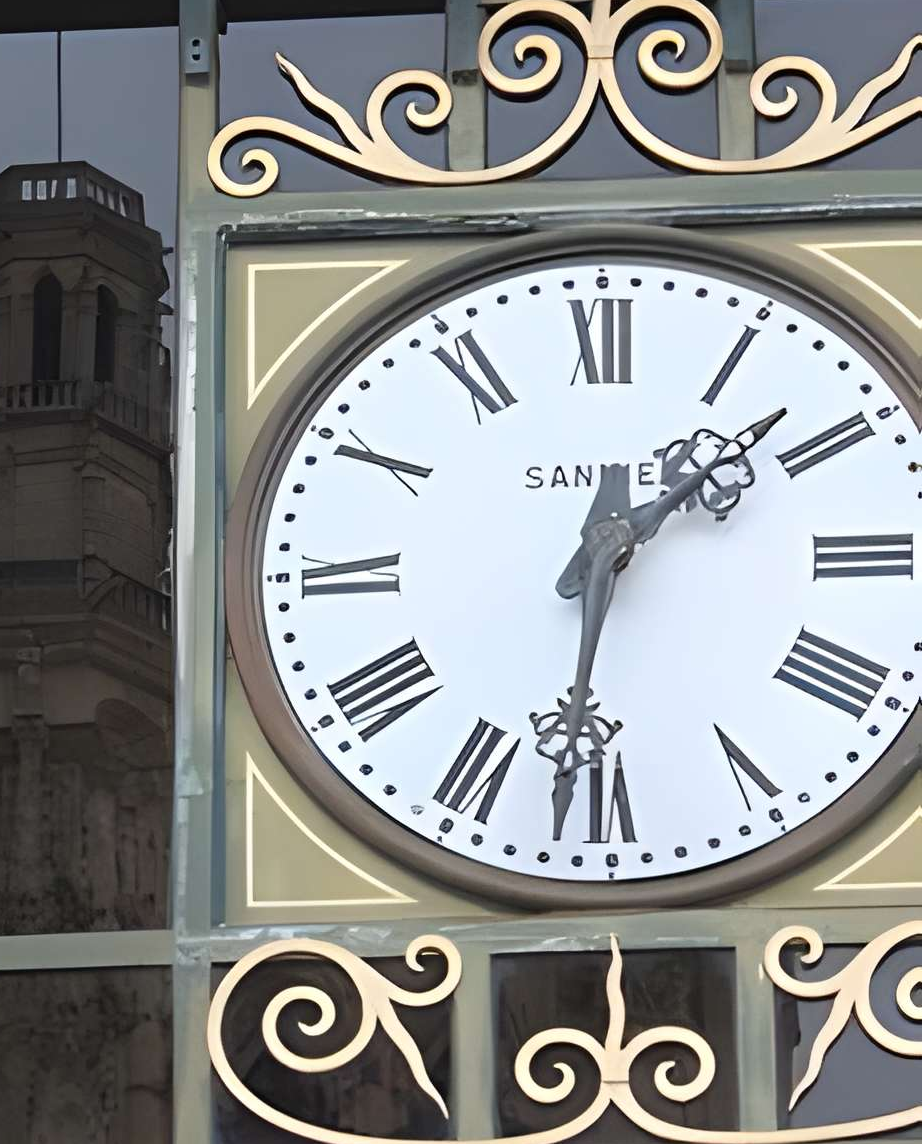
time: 1:31
